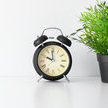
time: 9:59
